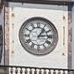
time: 1:13
